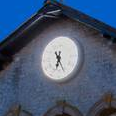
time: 6:25
